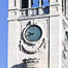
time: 9:42
